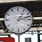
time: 1:12
